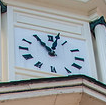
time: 11:02
